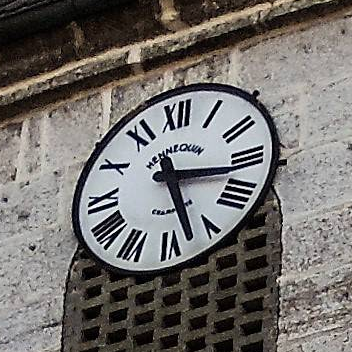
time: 3:27
